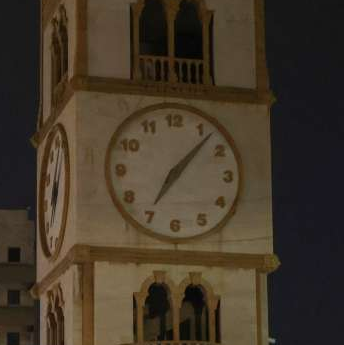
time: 7:07
